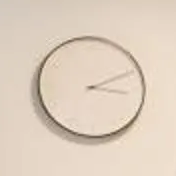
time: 3:11
